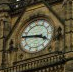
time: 3:46
